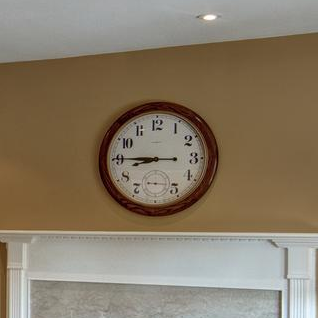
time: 8:45
